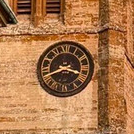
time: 3:41
